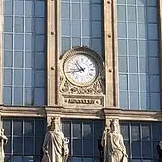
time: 10:43
